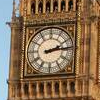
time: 2:13
